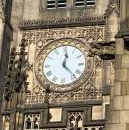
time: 12:23
